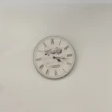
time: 4:16
